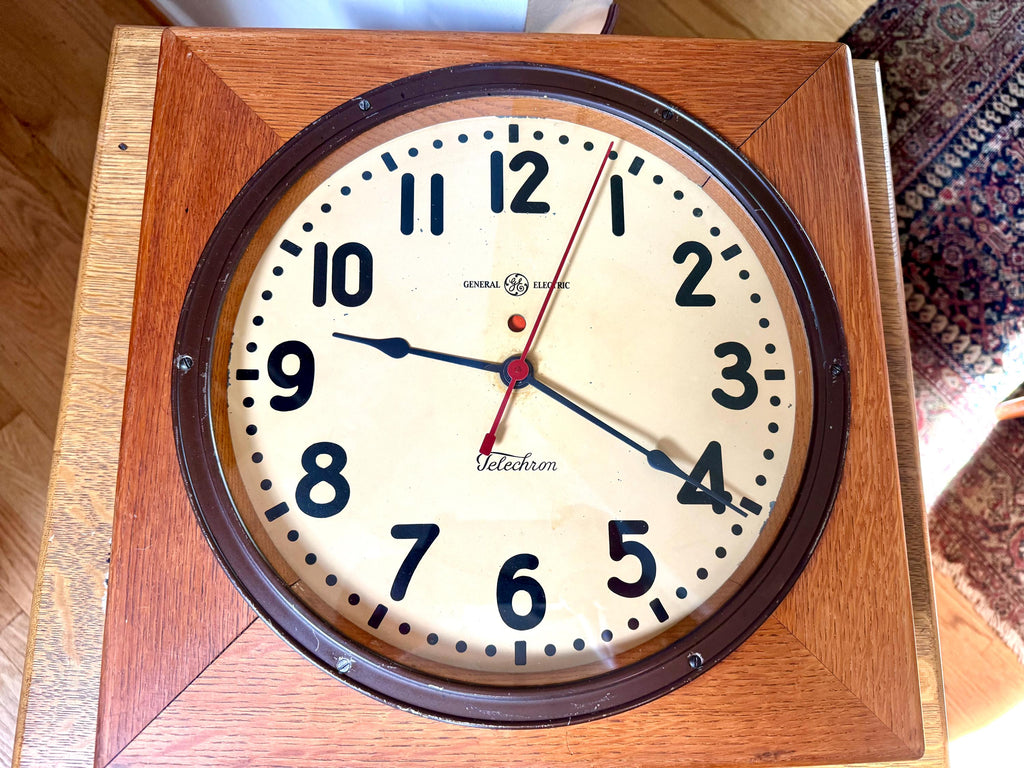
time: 9:20
